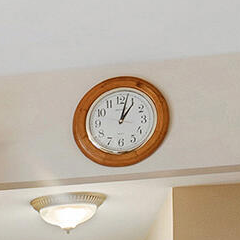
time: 1:02
